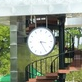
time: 3:25
